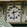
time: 2:28
